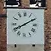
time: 8:09
